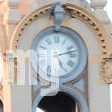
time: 5:12
